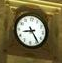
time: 8:24
